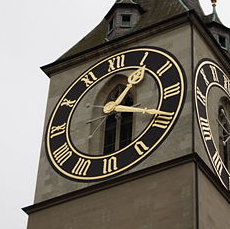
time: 1:18
